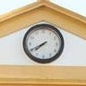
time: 7:40
